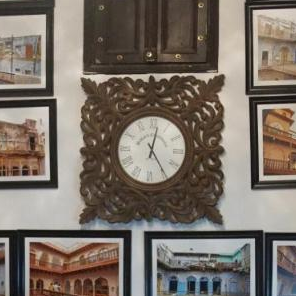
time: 12:24
